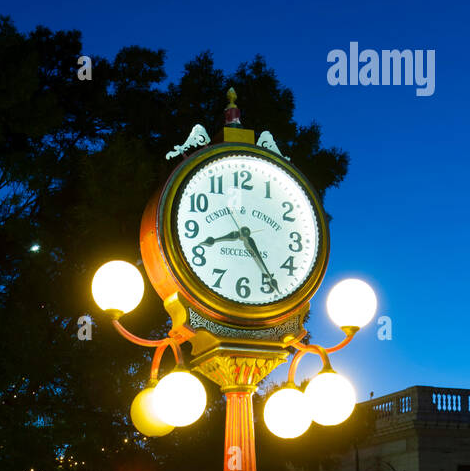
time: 8:24
